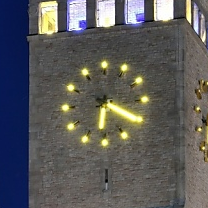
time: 6:19
